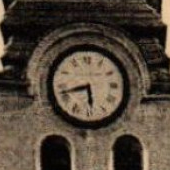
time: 5:42
